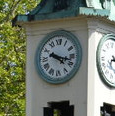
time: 4:17
